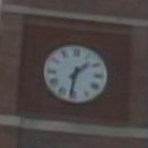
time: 1:31
